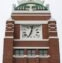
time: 7:02
